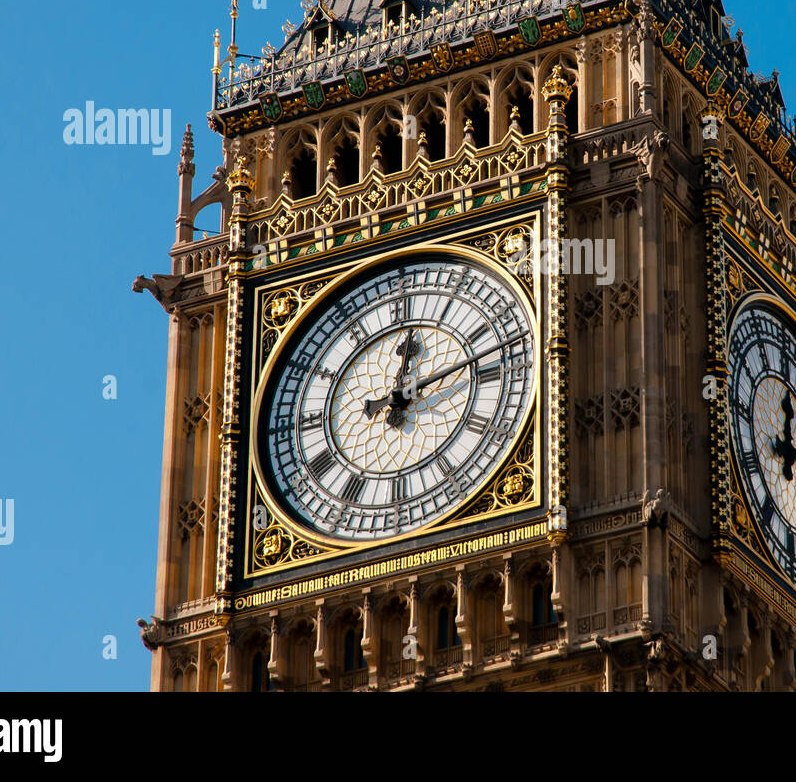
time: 12:12
